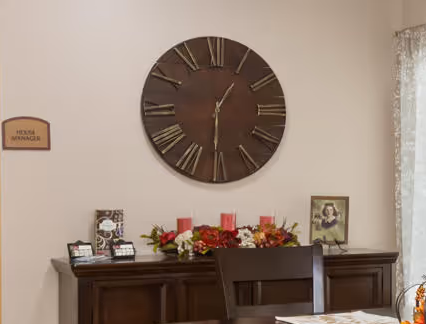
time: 1:30
